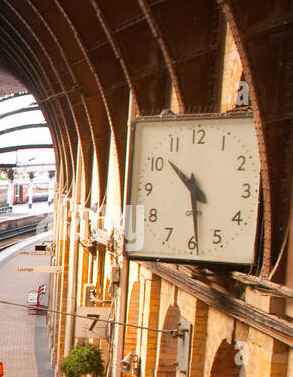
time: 10:28
